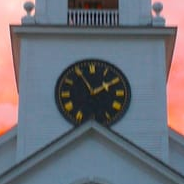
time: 1:55
